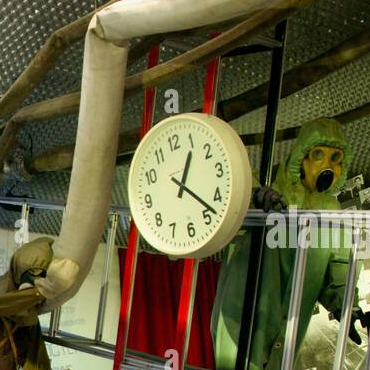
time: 1:22
